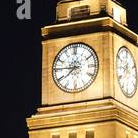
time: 7:45
